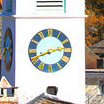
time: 8:12
